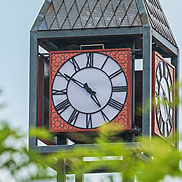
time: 4:50
